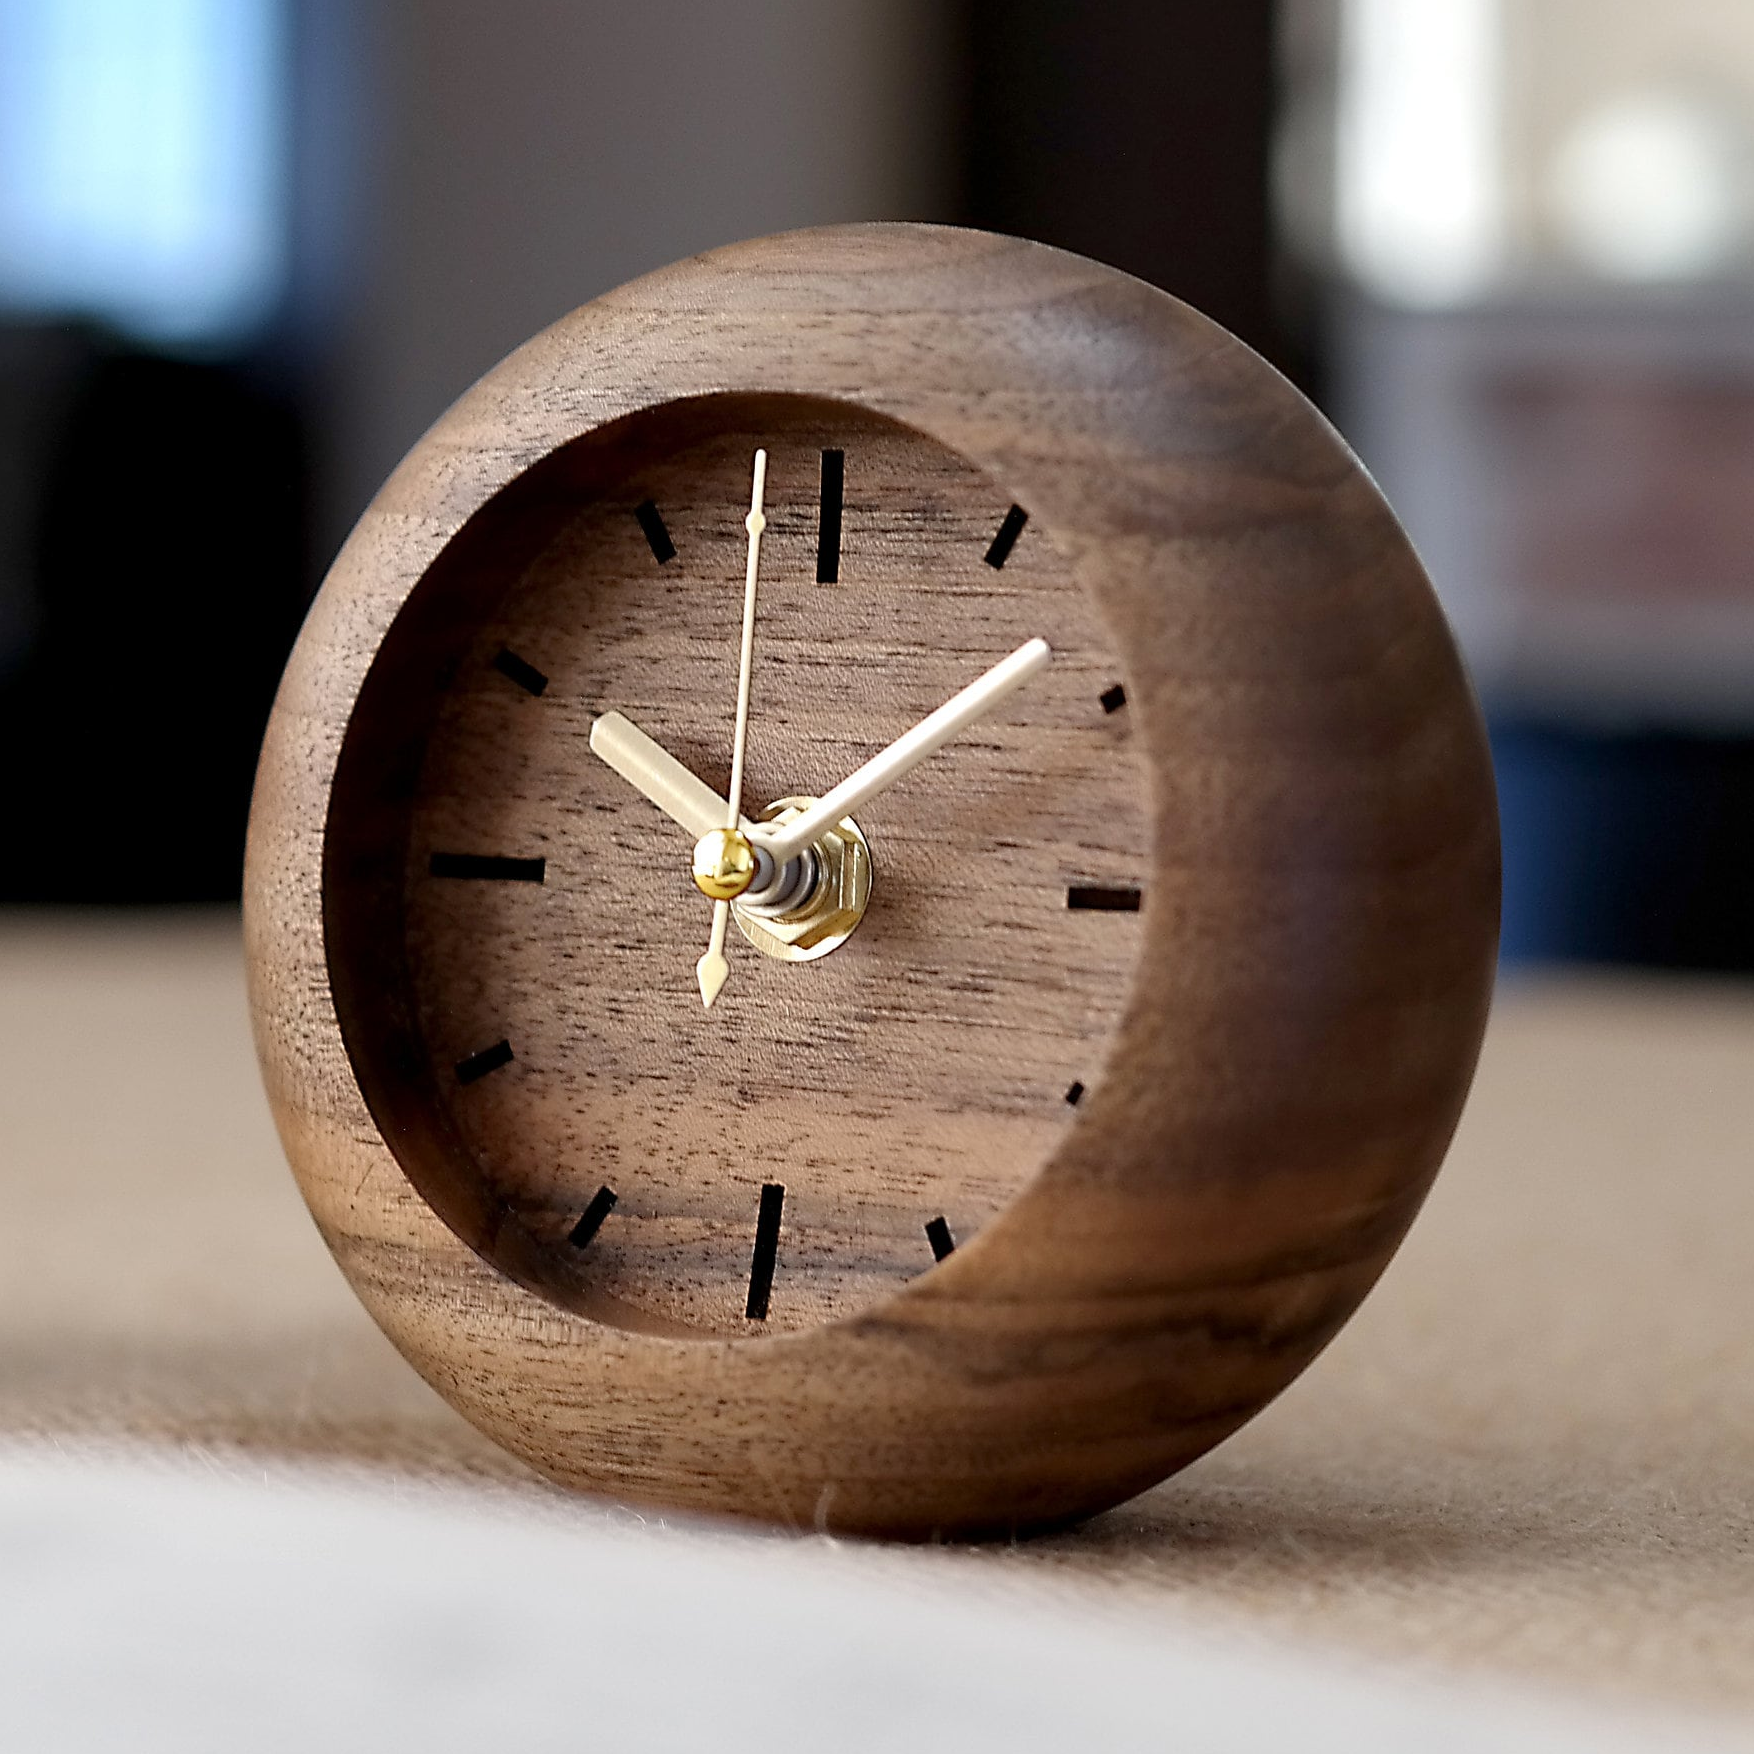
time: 10:07
